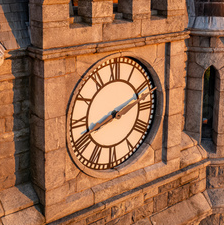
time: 8:11
